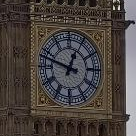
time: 12:48
